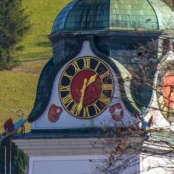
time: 1:32
